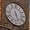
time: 5:26
